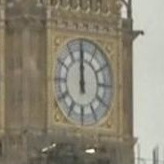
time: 11:59
